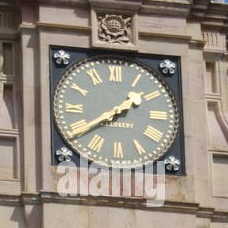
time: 1:39
